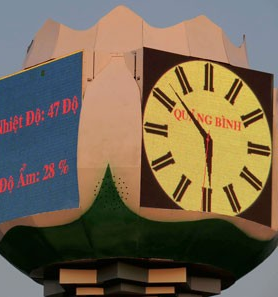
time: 5:52
